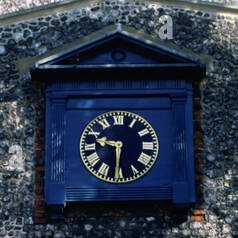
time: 9:31
